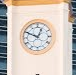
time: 12:49
